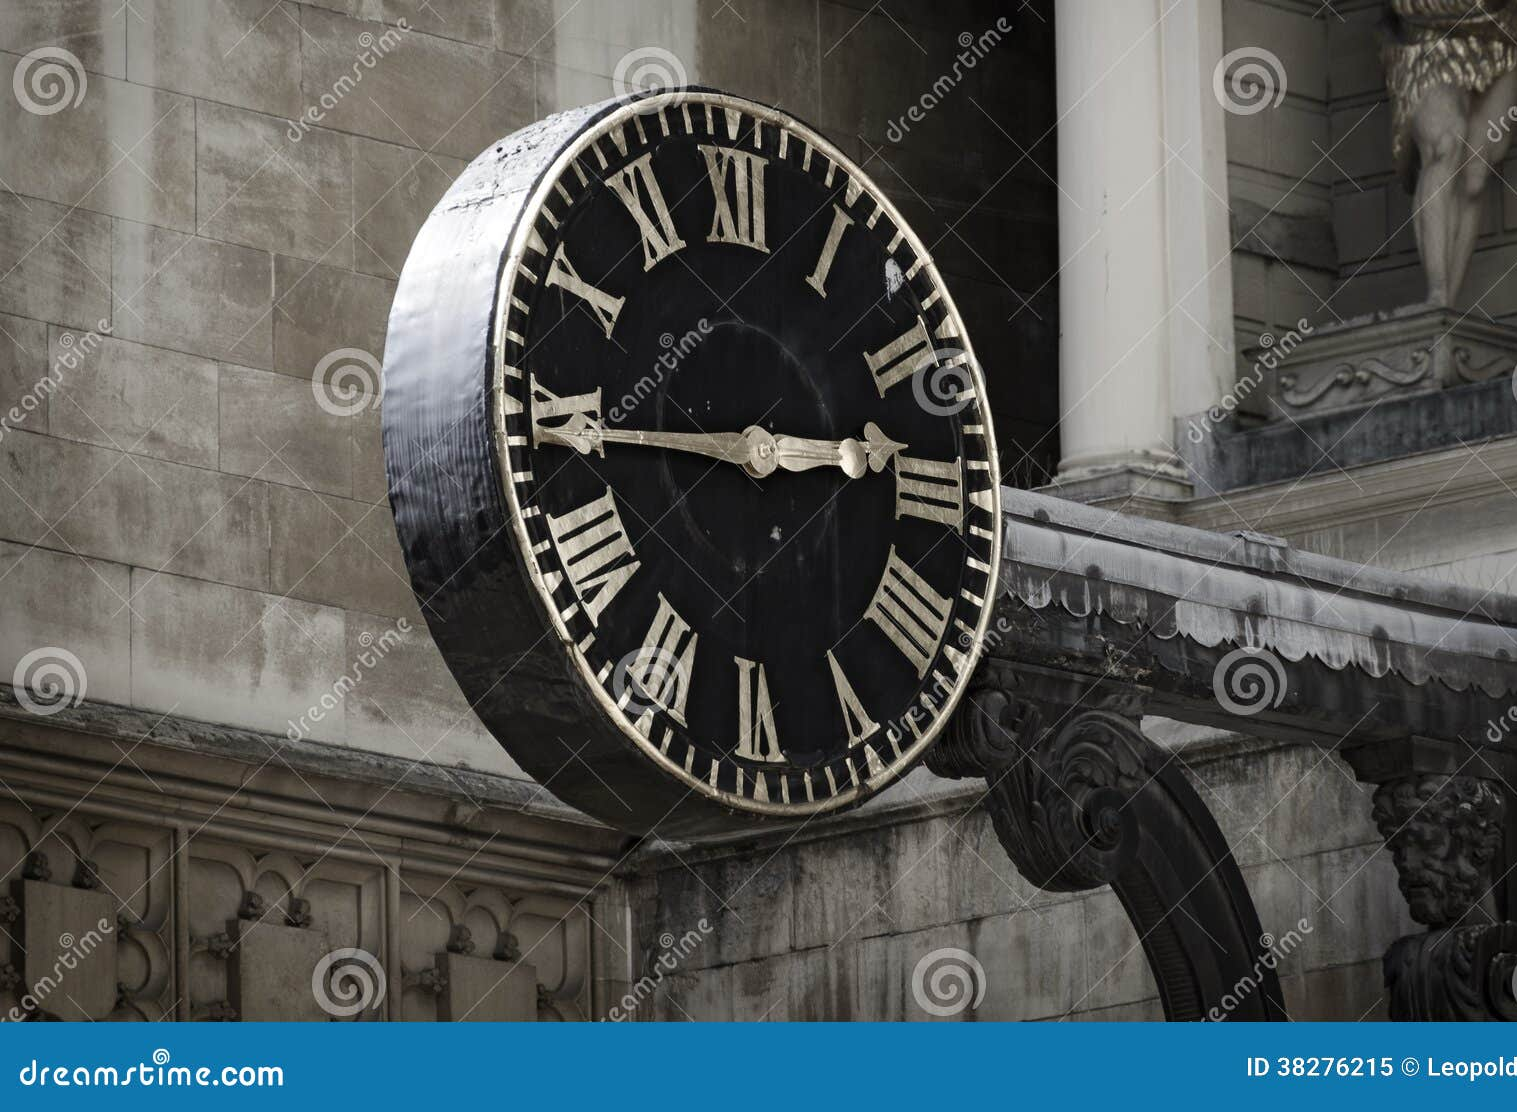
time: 2:44
